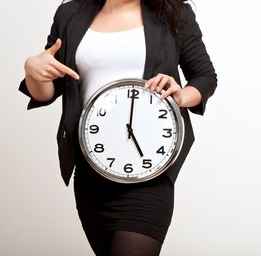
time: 5:00
